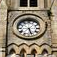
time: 5:26
